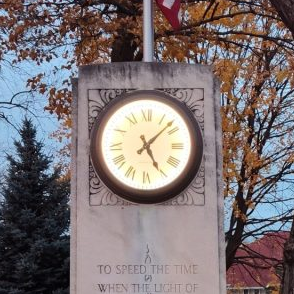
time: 5:07
